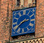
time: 2:39
